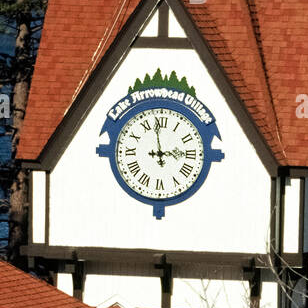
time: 2:58
